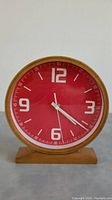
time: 4:21
